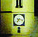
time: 7:17
